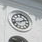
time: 1:41
